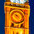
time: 10:23
